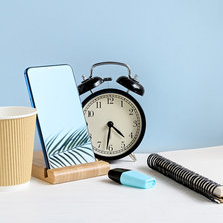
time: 4:31
